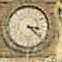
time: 3:21
